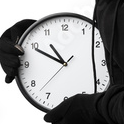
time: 10:49
